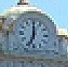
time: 7:00
